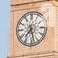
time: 7:27
